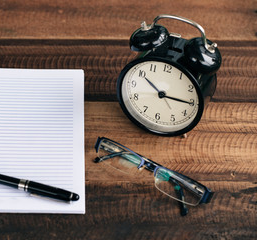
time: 10:15
